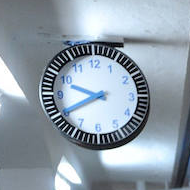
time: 9:40
